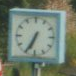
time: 6:34
